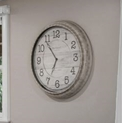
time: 6:54
